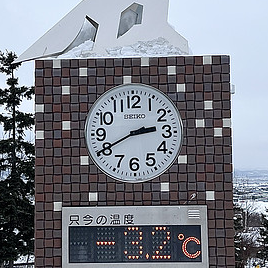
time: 2:40
